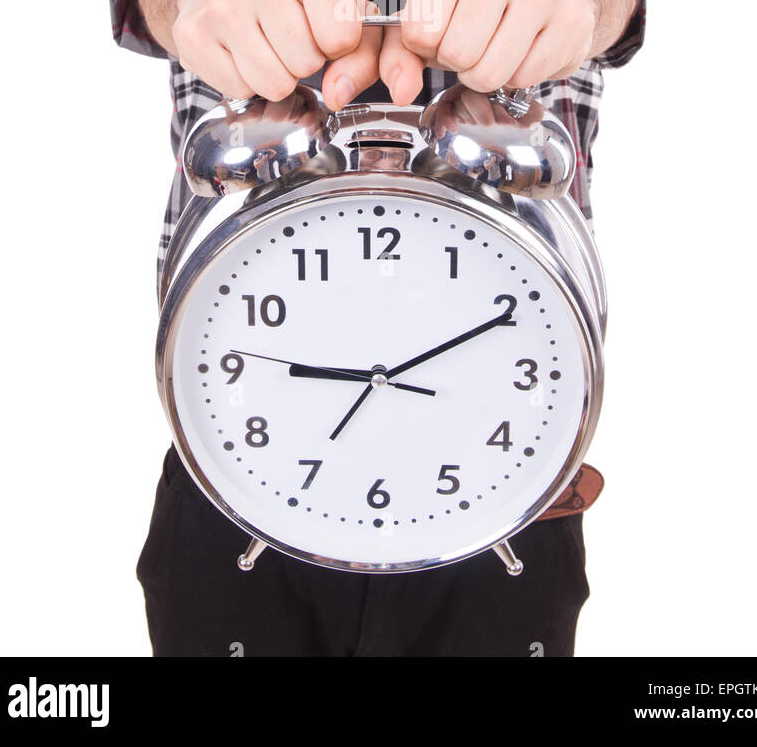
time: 9:10
